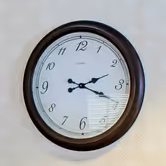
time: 2:18
